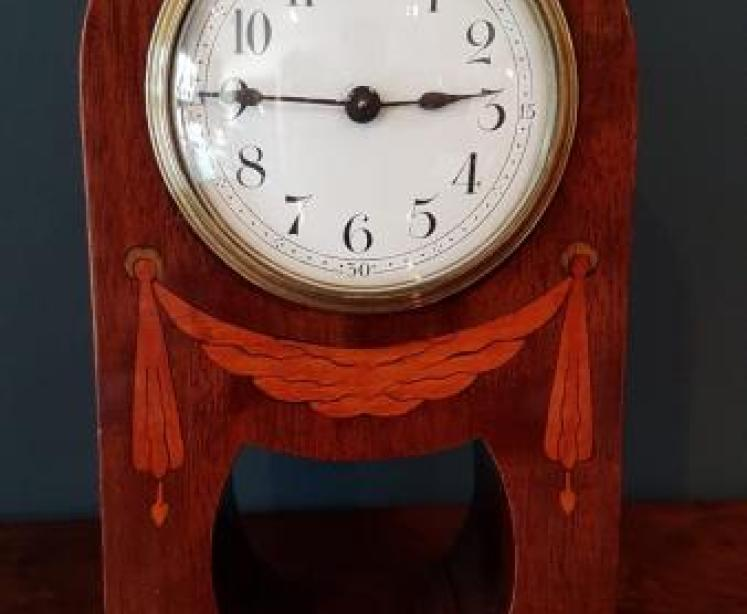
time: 2:45
